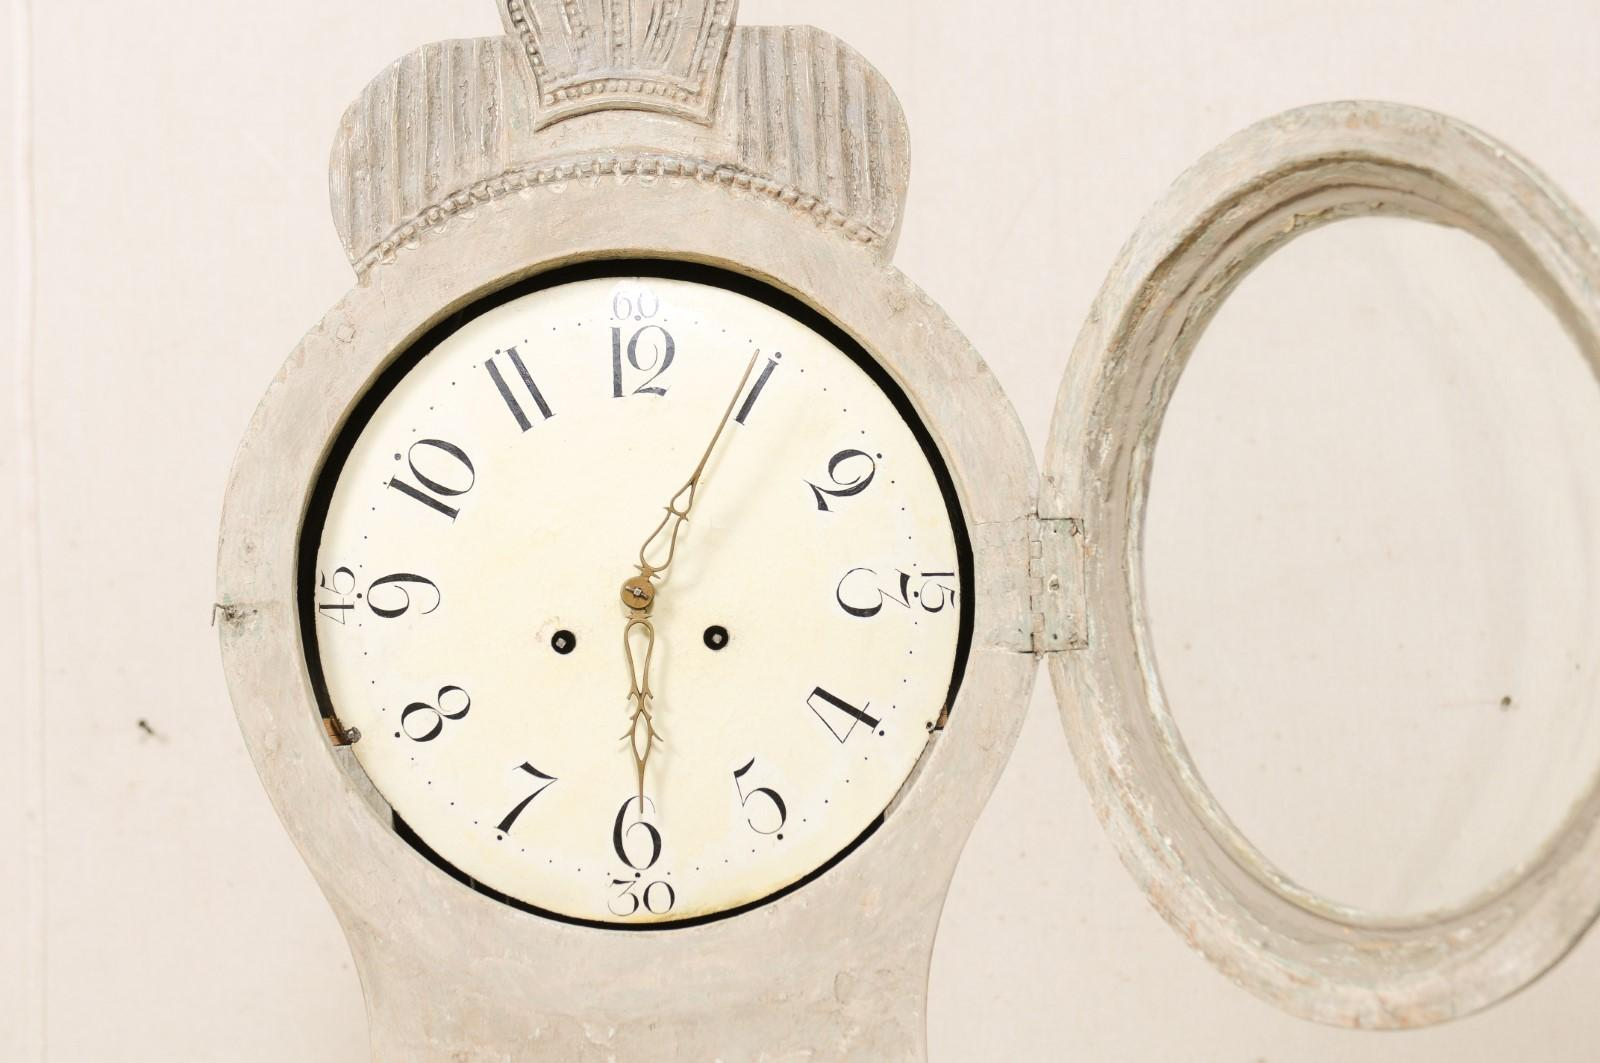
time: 6:04
